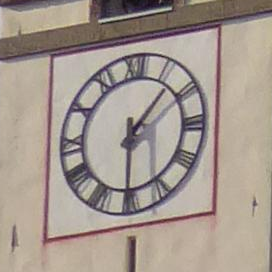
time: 1:30
